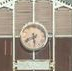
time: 5:40
